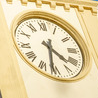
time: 4:31
